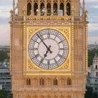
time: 6:53
